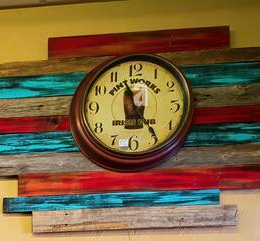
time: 11:24
